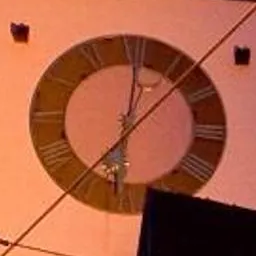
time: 6:01
